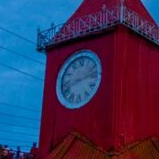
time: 8:12
